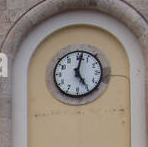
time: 5:01
